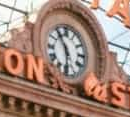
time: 5:54
